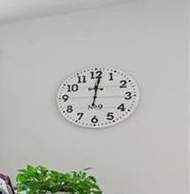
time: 12:01
